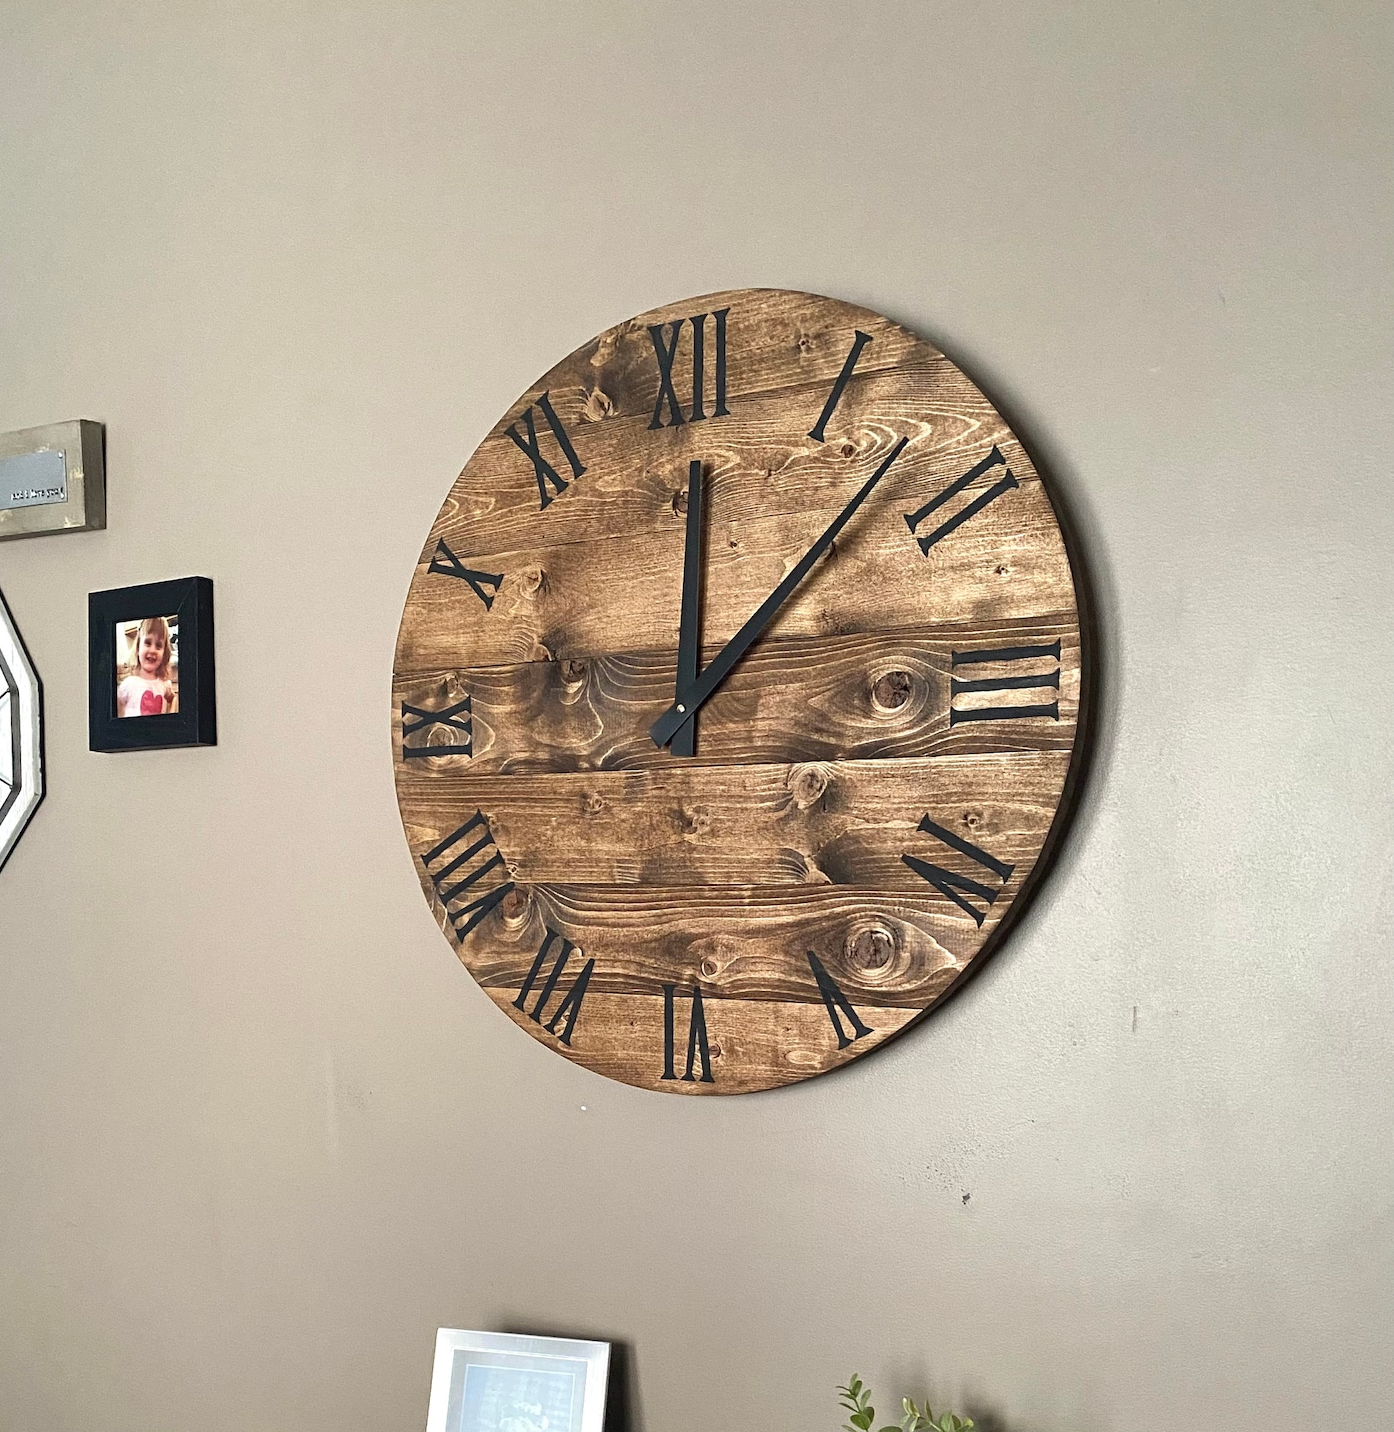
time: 12:07
